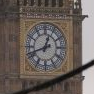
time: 12:42
